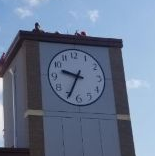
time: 9:34
